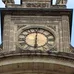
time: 6:00
